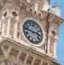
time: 2:46
